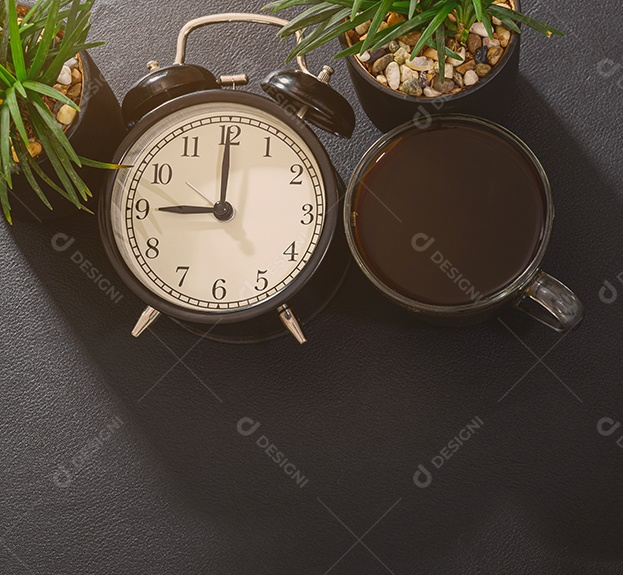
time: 9:00
